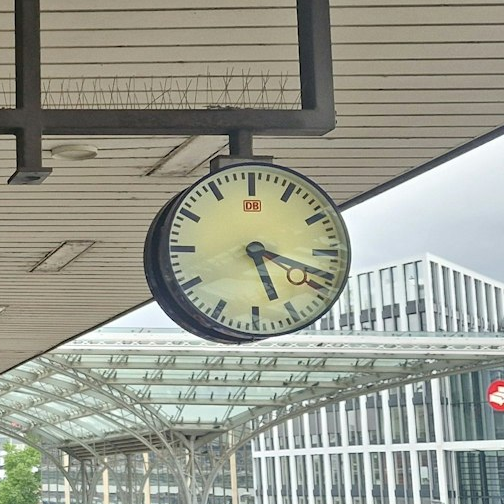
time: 5:18
